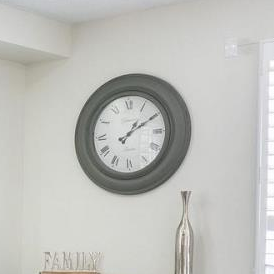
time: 1:09
